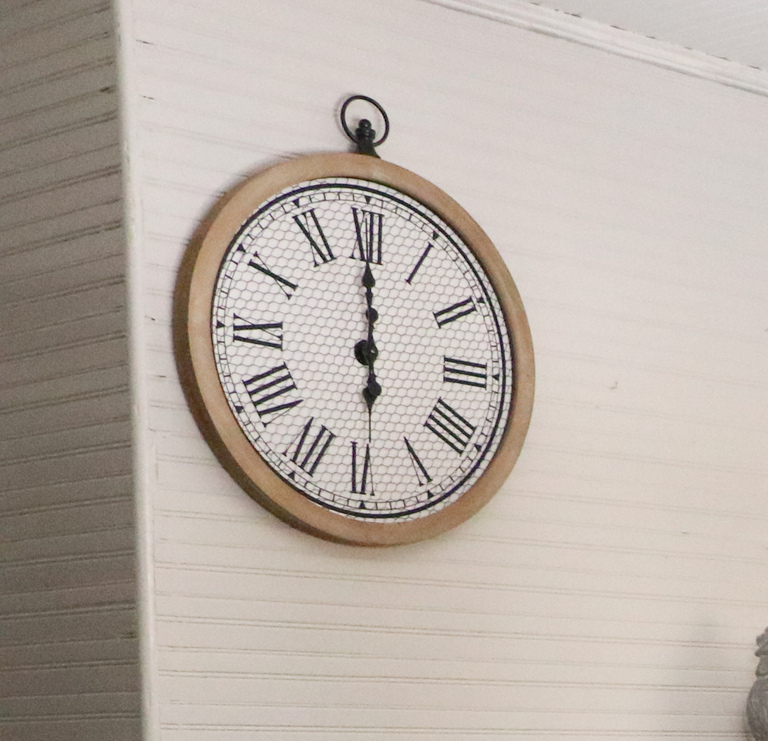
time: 5:59
